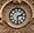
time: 2:29
